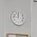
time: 11:46
